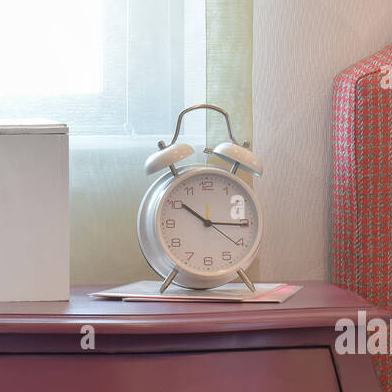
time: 10:15
